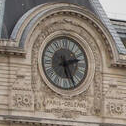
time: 2:26
